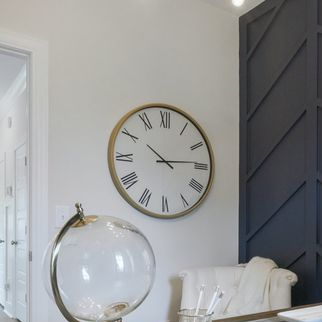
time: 10:13
